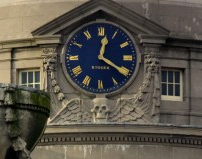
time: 12:20
